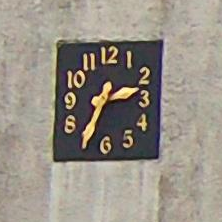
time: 2:34
